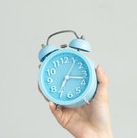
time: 7:17
